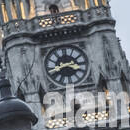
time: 2:40
